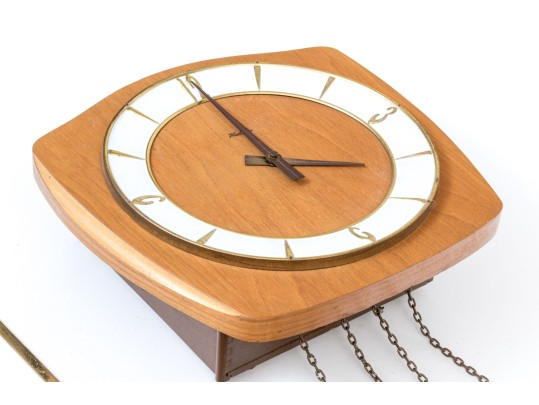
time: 2:55
